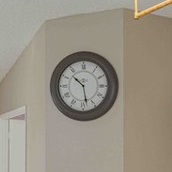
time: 10:28
